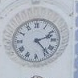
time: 2:23
